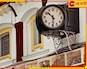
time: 10:30
